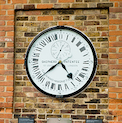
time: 4:39
